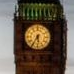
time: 5:35
